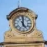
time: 5:00
